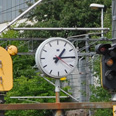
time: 1:14
